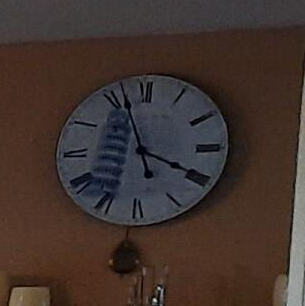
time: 3:56
